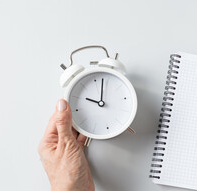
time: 10:02
